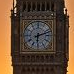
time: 6:12
